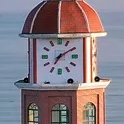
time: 7:09
